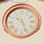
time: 10:26
